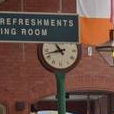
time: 10:42
